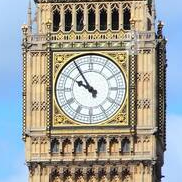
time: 9:54
